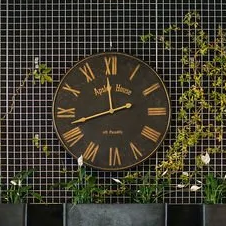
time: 11:42
